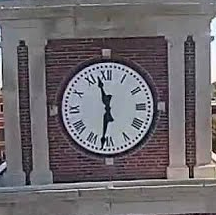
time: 11:31
